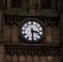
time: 3:29
